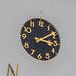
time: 3:09
